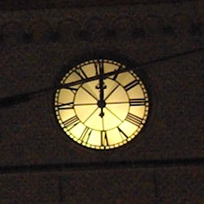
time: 12:07
